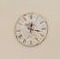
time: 12:16
